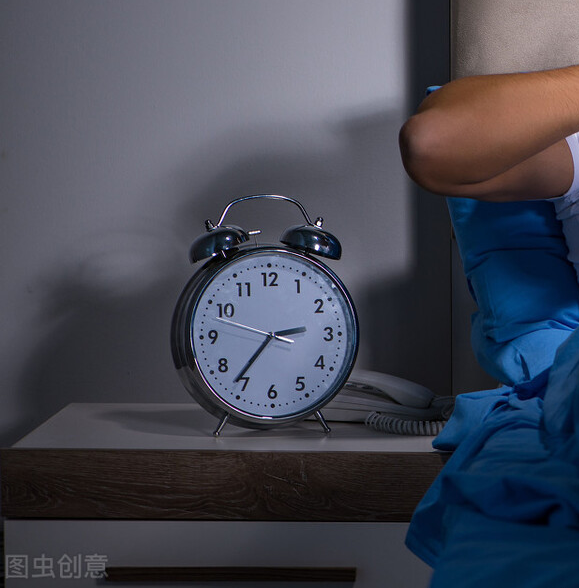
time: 2:36
